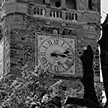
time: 3:12
